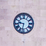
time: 9:32
